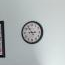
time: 2:53
